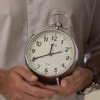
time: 11:40
